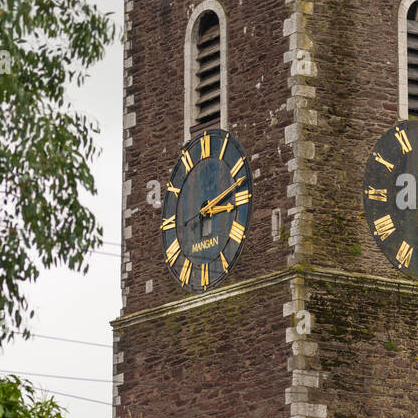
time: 3:12
